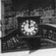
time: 12:12
